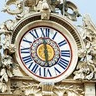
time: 5:59
